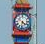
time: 4:31
